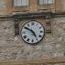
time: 4:50
